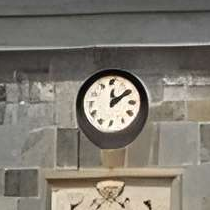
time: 12:09
